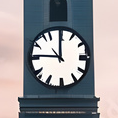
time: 11:46
